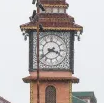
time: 3:39
